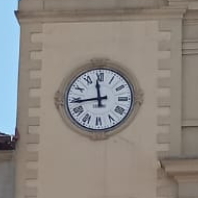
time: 11:43
